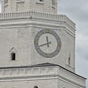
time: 11:41
